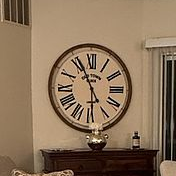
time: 5:55
